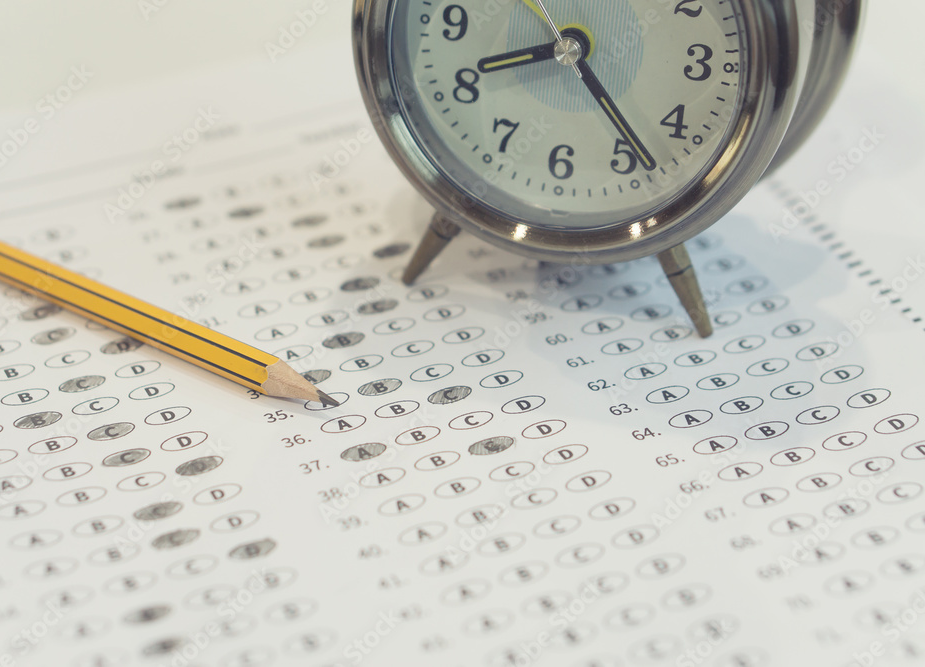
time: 8:23
